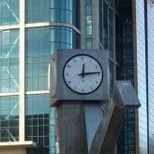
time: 12:13
